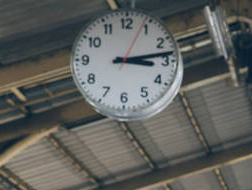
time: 3:13
